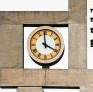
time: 3:58
